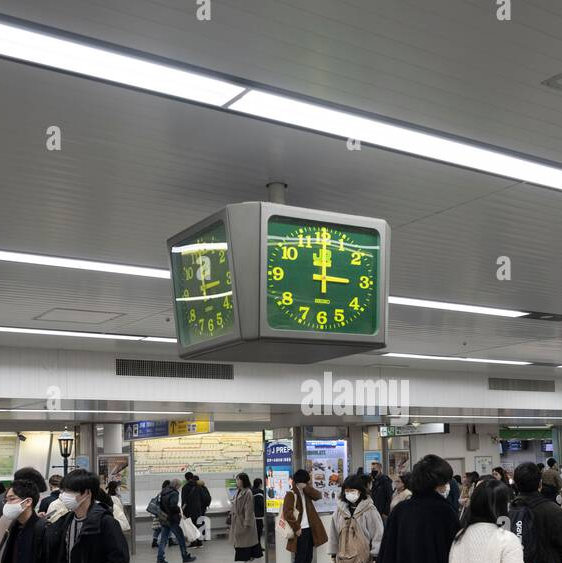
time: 3:00
